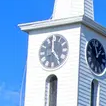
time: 4:59
